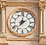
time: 2:01
